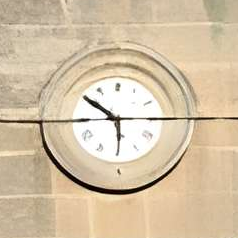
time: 5:51
